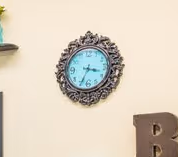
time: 3:34
